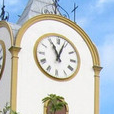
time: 11:03
